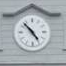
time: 4:52
